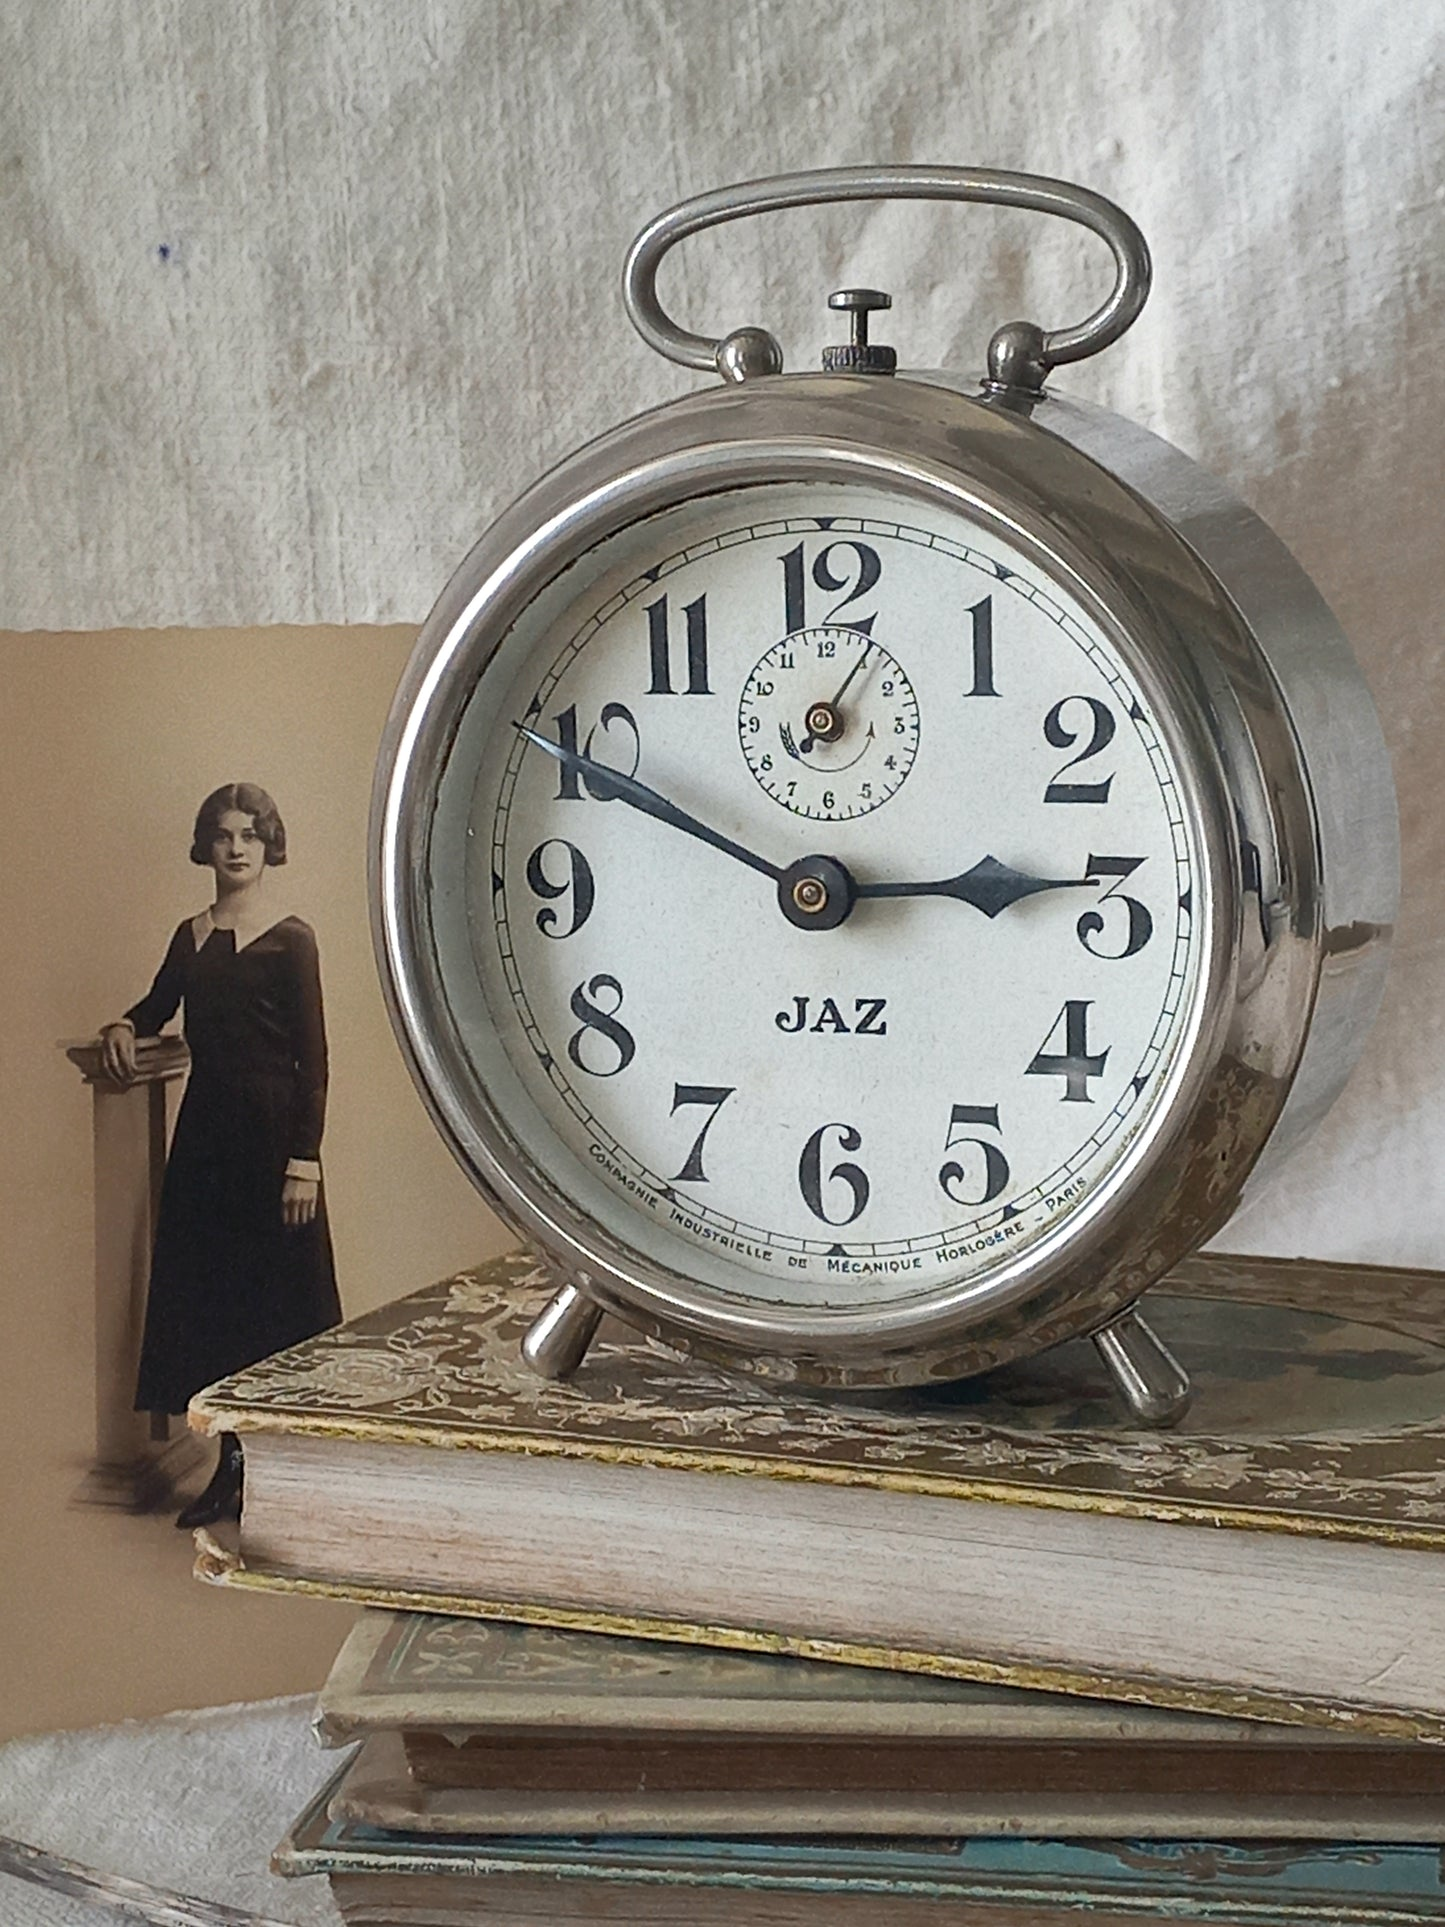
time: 2:49
